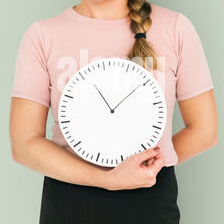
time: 11:09
